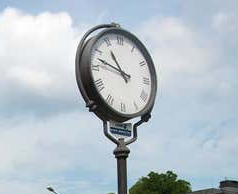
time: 10:47
